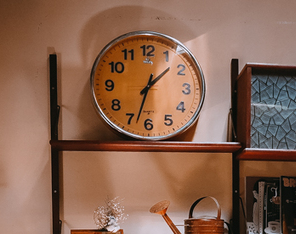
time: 1:33
